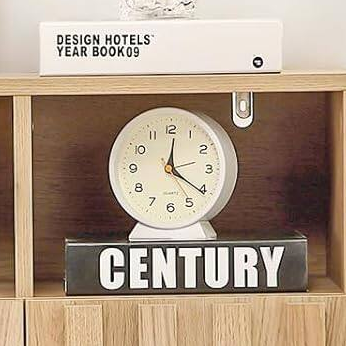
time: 12:20
